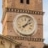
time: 2:06
